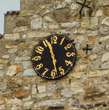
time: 11:28
